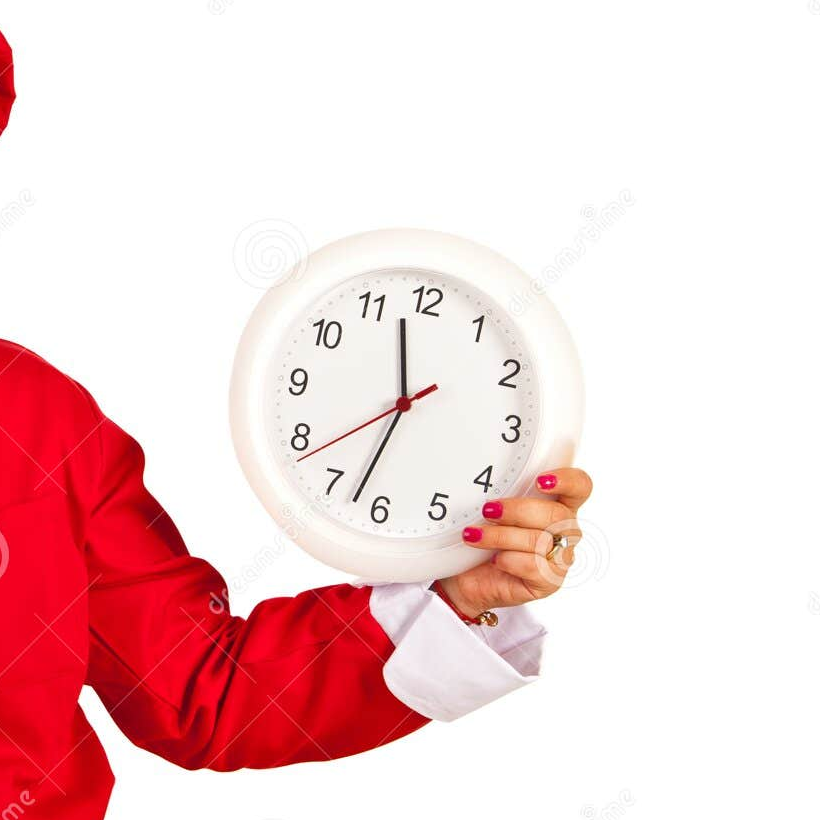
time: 11:32
